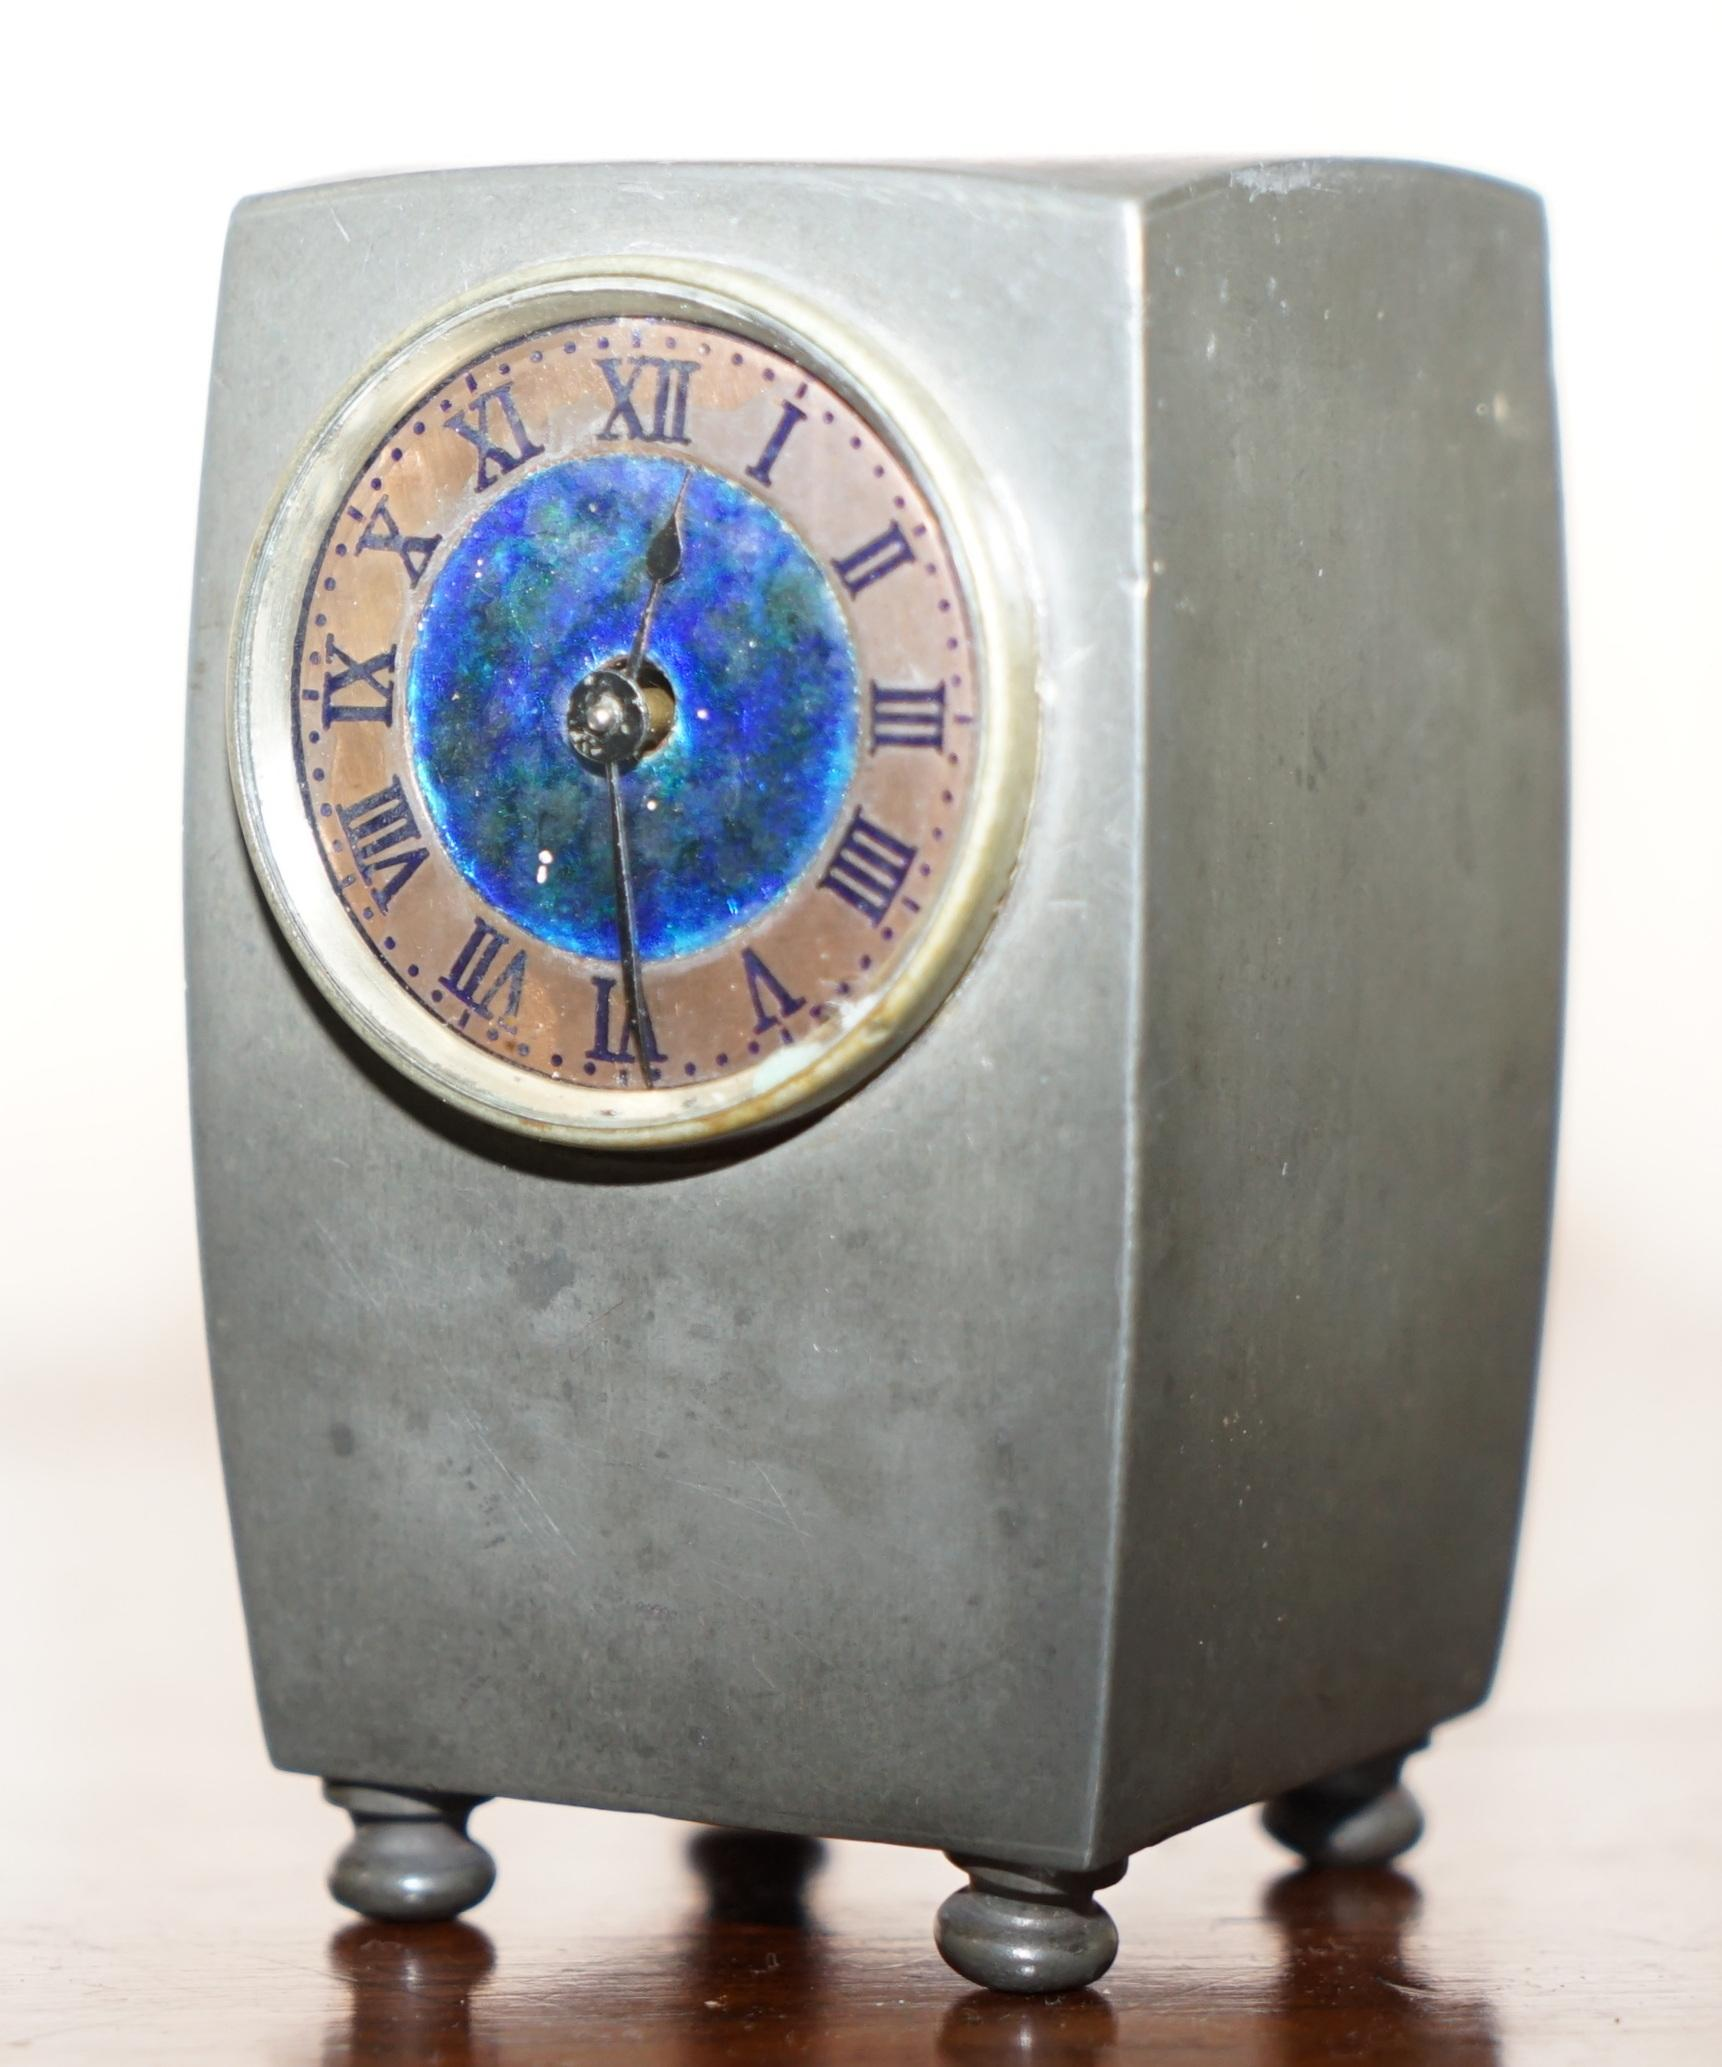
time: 12:29
